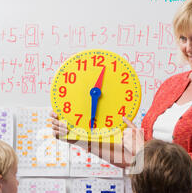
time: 12:30
